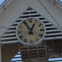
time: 12:55
